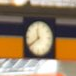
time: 11:38
